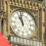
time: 10:58
